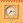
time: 7:15
